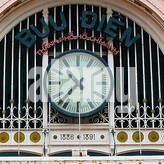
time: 10:37
